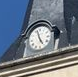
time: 4:57
